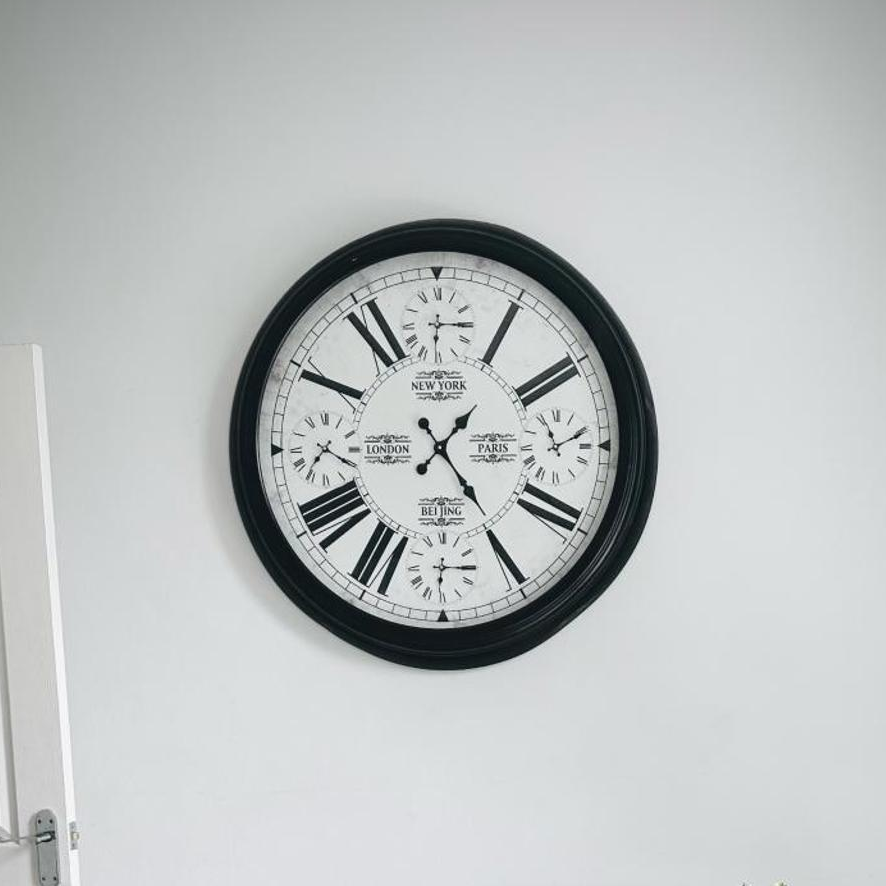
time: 1:23
